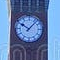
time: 10:07
